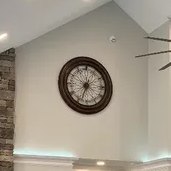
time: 12:33
